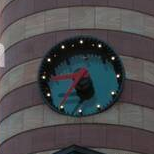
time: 5:35
